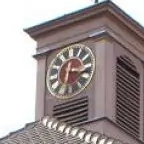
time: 6:15
